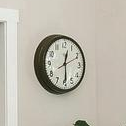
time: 12:29
